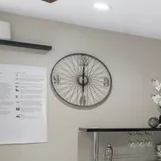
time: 6:00
